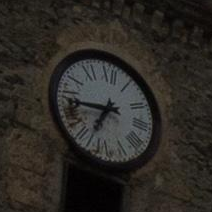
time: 6:44
